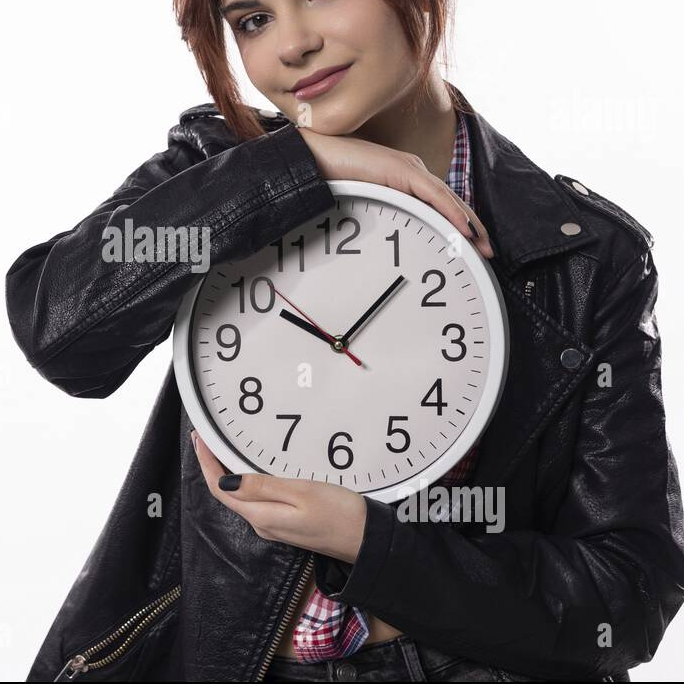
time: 10:07
